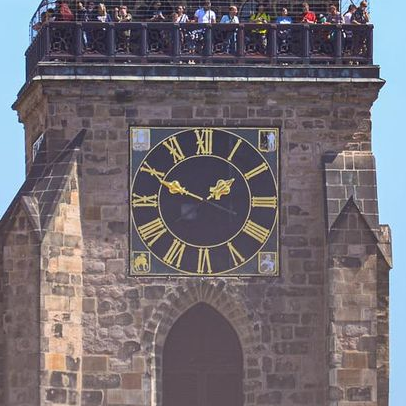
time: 1:49
